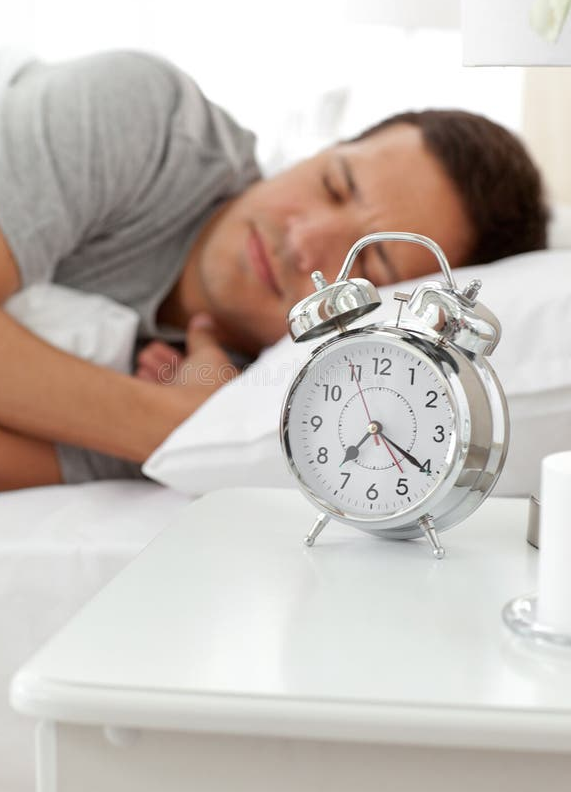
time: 7:20
